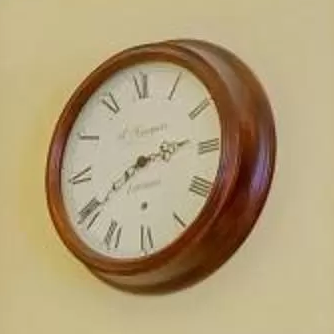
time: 2:39
